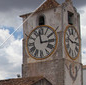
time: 2:58
